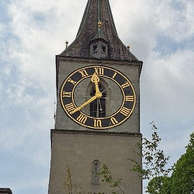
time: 11:37
